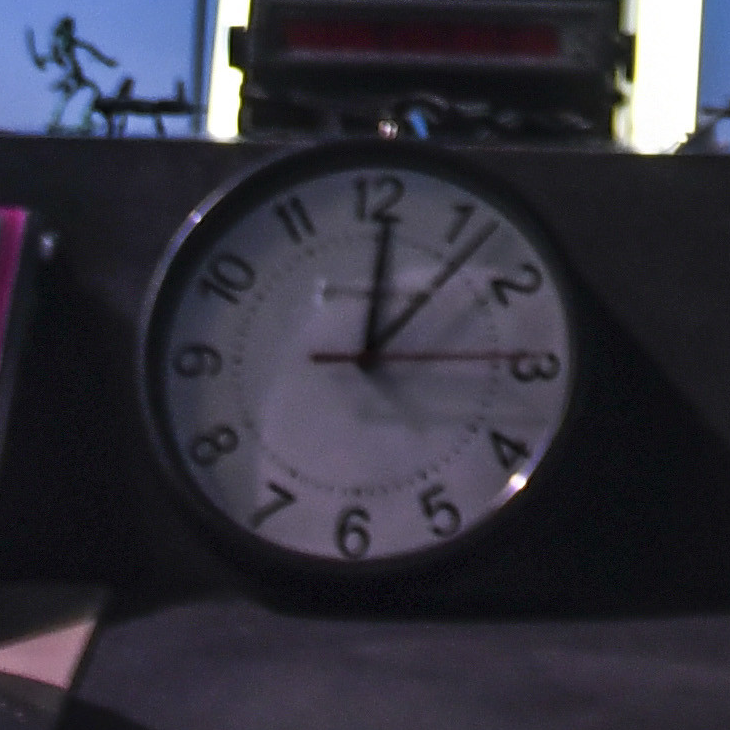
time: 12:06
